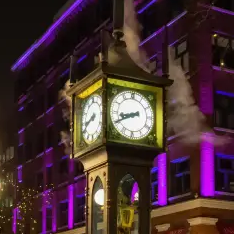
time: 8:40
